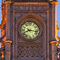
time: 8:16
